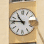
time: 10:46
